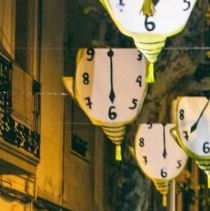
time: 5:59
